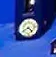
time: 4:40
